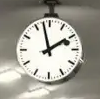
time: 1:57
